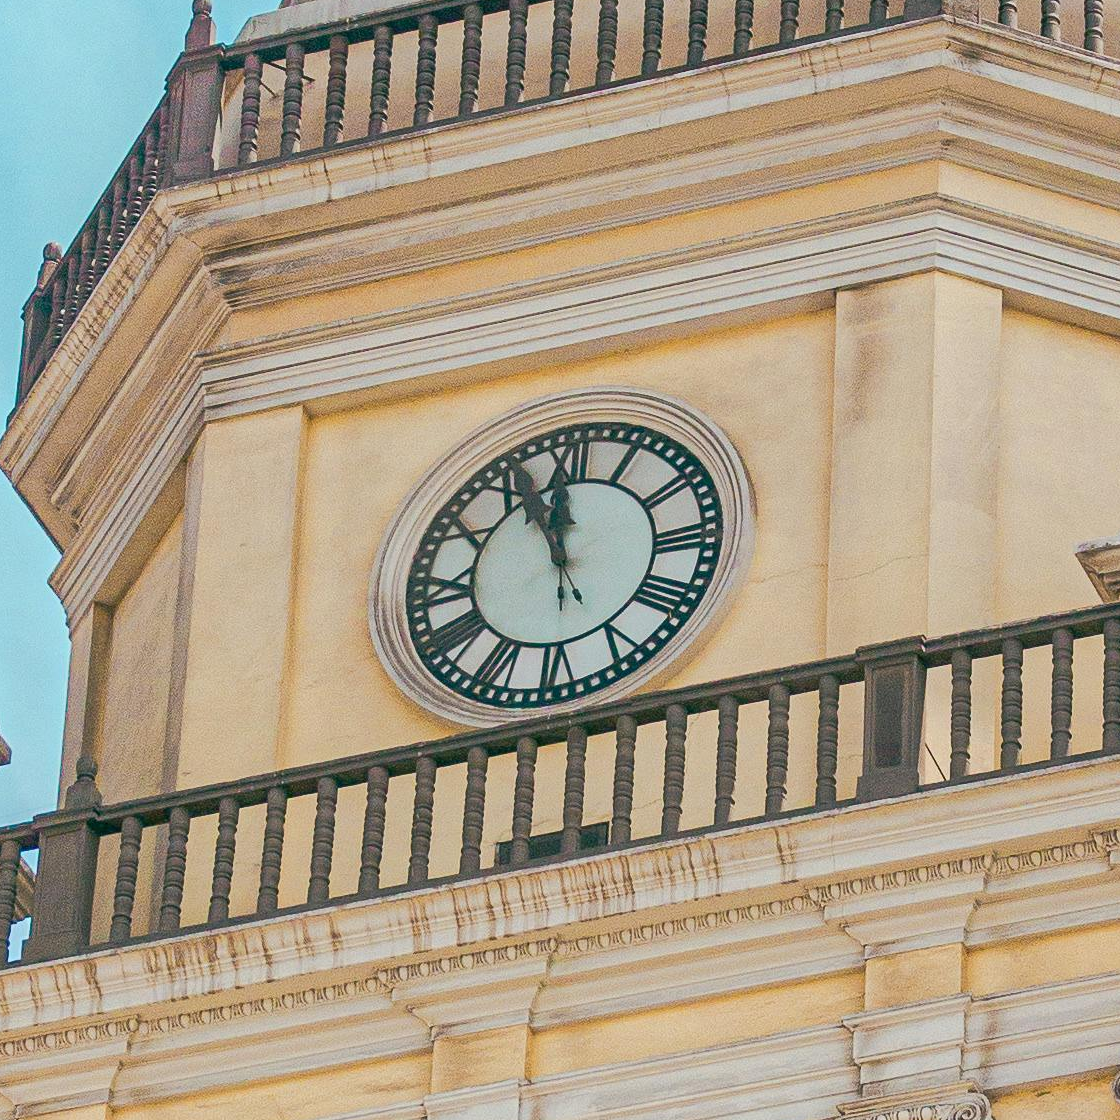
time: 11:56
